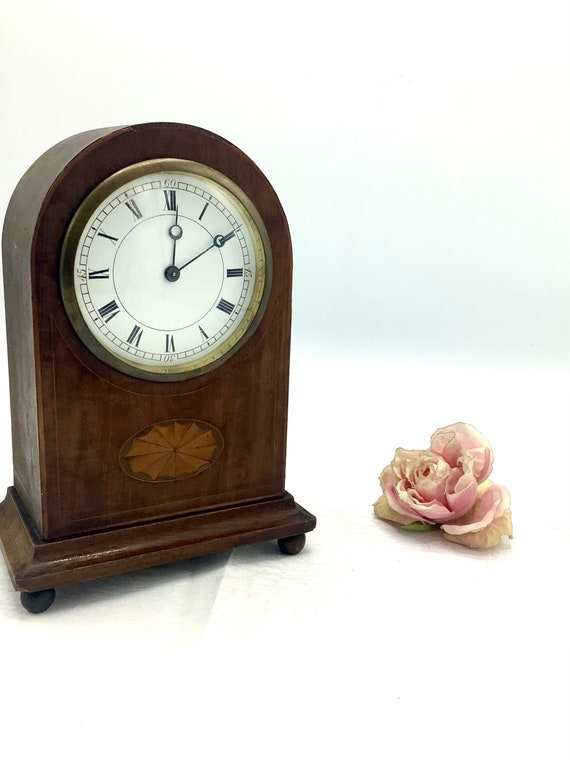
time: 12:09
